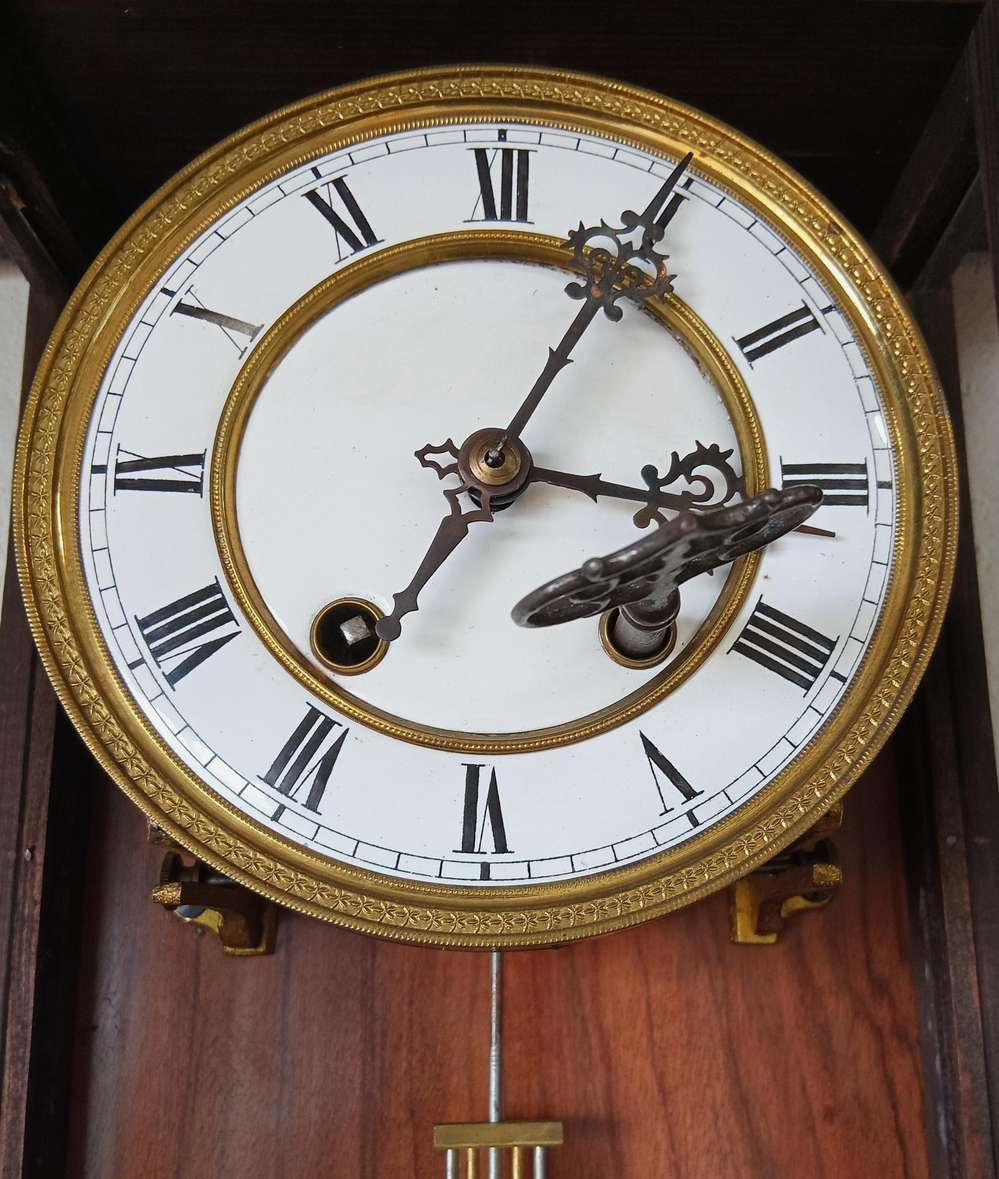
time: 3:04
